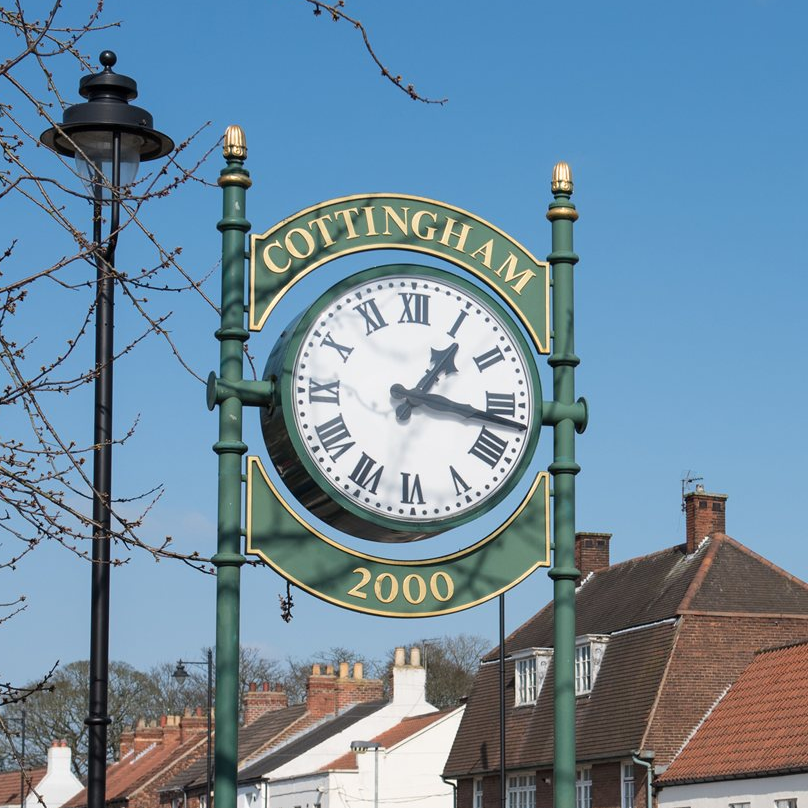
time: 1:16
